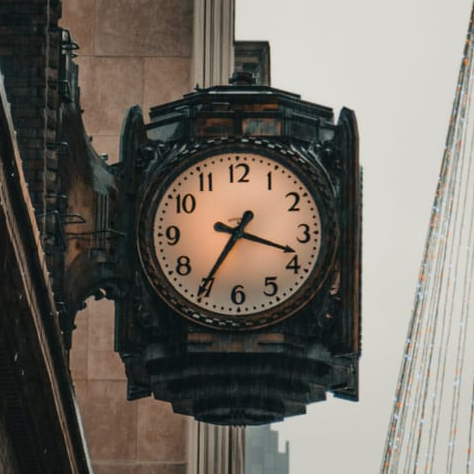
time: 3:35
